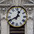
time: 12:40
